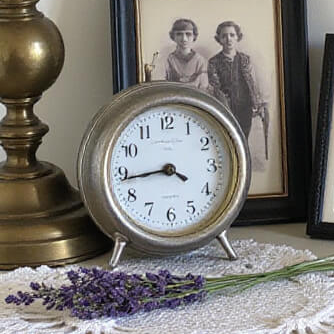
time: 3:43
